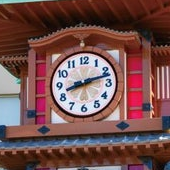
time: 8:12
